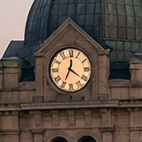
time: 12:21
